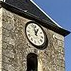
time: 12:57
